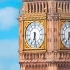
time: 6:28
